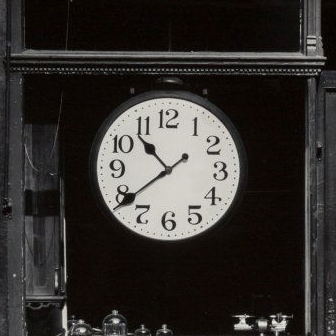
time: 10:38
